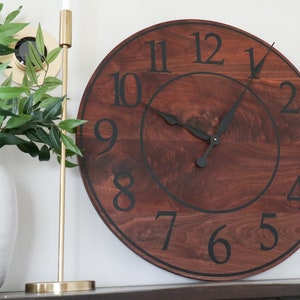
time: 10:05
